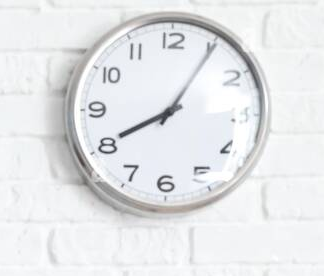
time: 8:05
